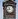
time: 11:42
